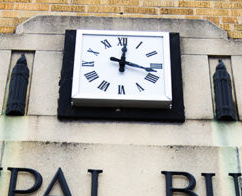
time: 12:17
